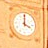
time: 4:00
